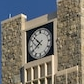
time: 7:52
